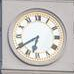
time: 6:39
